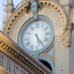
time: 5:24
